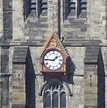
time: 1:46
